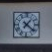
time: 1:21
